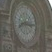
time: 8:14
